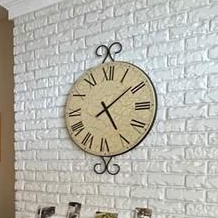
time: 5:08
